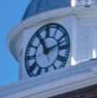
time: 11:12
